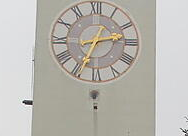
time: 2:34
